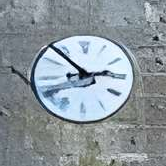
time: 2:53
